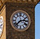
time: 2:37
